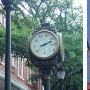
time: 2:11
